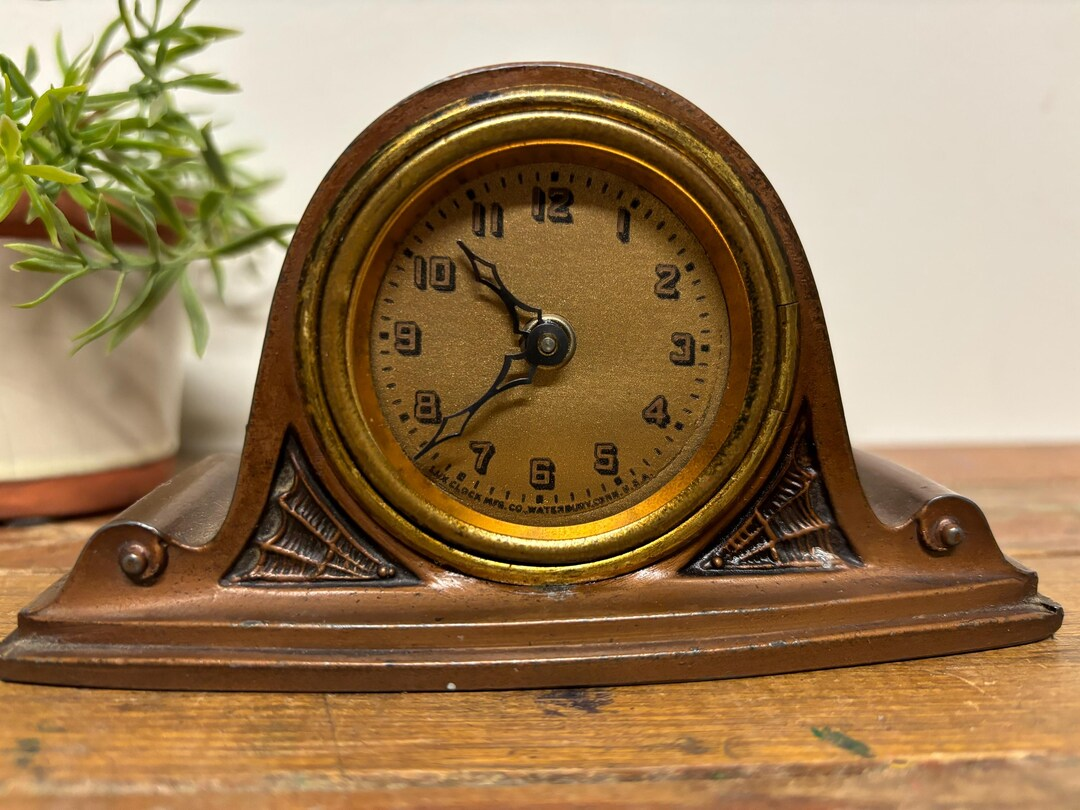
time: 10:37
